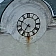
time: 6:50
